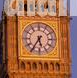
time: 5:35
